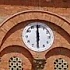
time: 5:59
